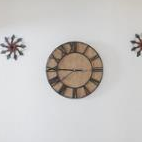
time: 7:45
